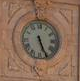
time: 5:26
